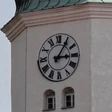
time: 3:05
